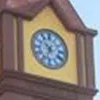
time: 10:33
